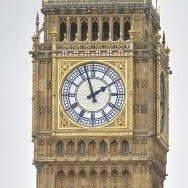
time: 1:57
